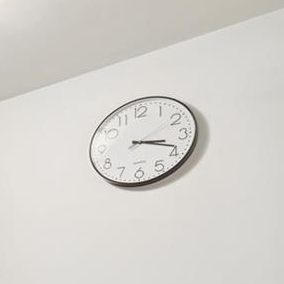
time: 3:18
